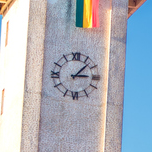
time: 3:07
